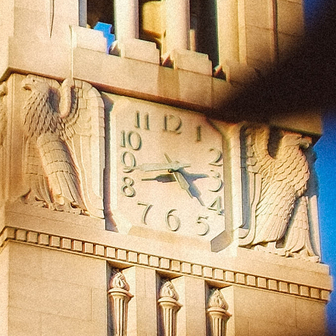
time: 4:13
